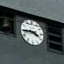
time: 3:44
